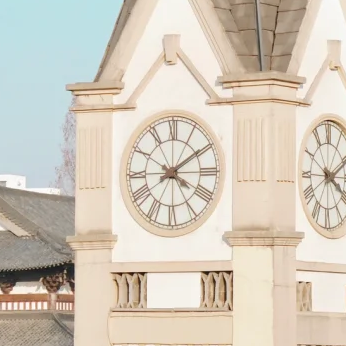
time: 4:09
